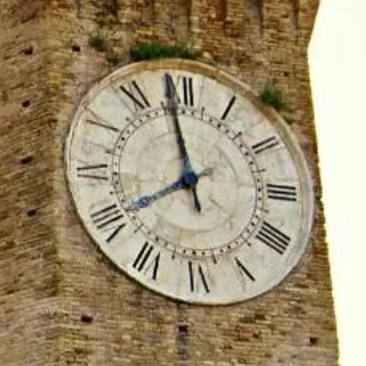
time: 7:58
